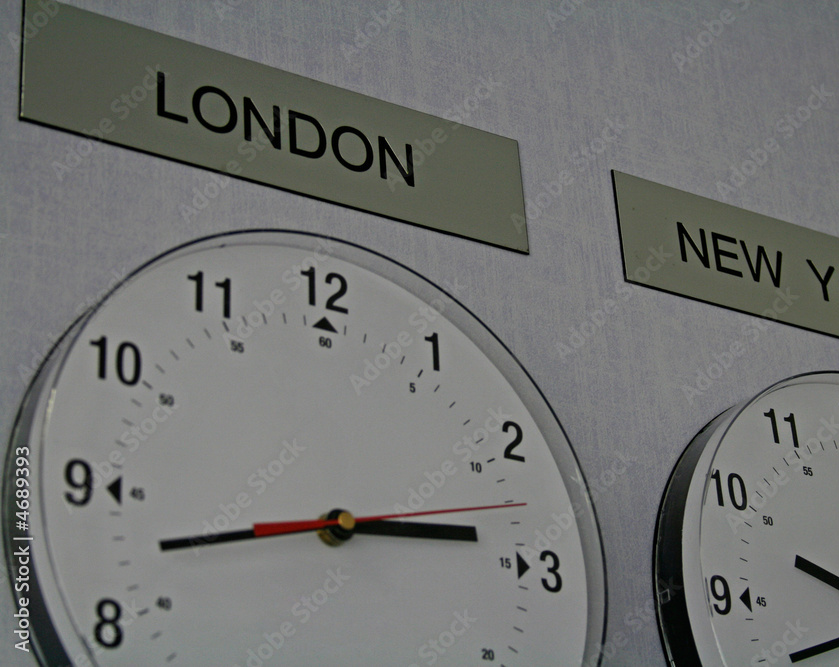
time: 2:42
